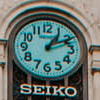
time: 1:10
